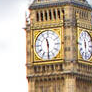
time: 11:29
